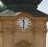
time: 11:30
